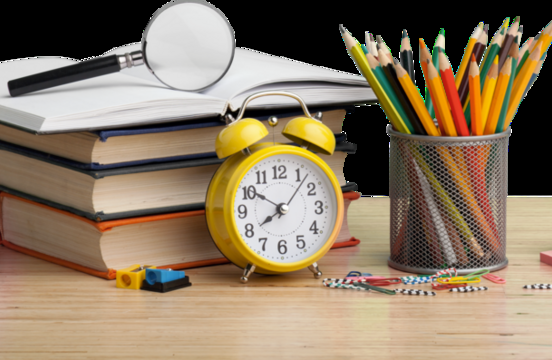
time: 7:50
